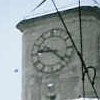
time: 9:22
